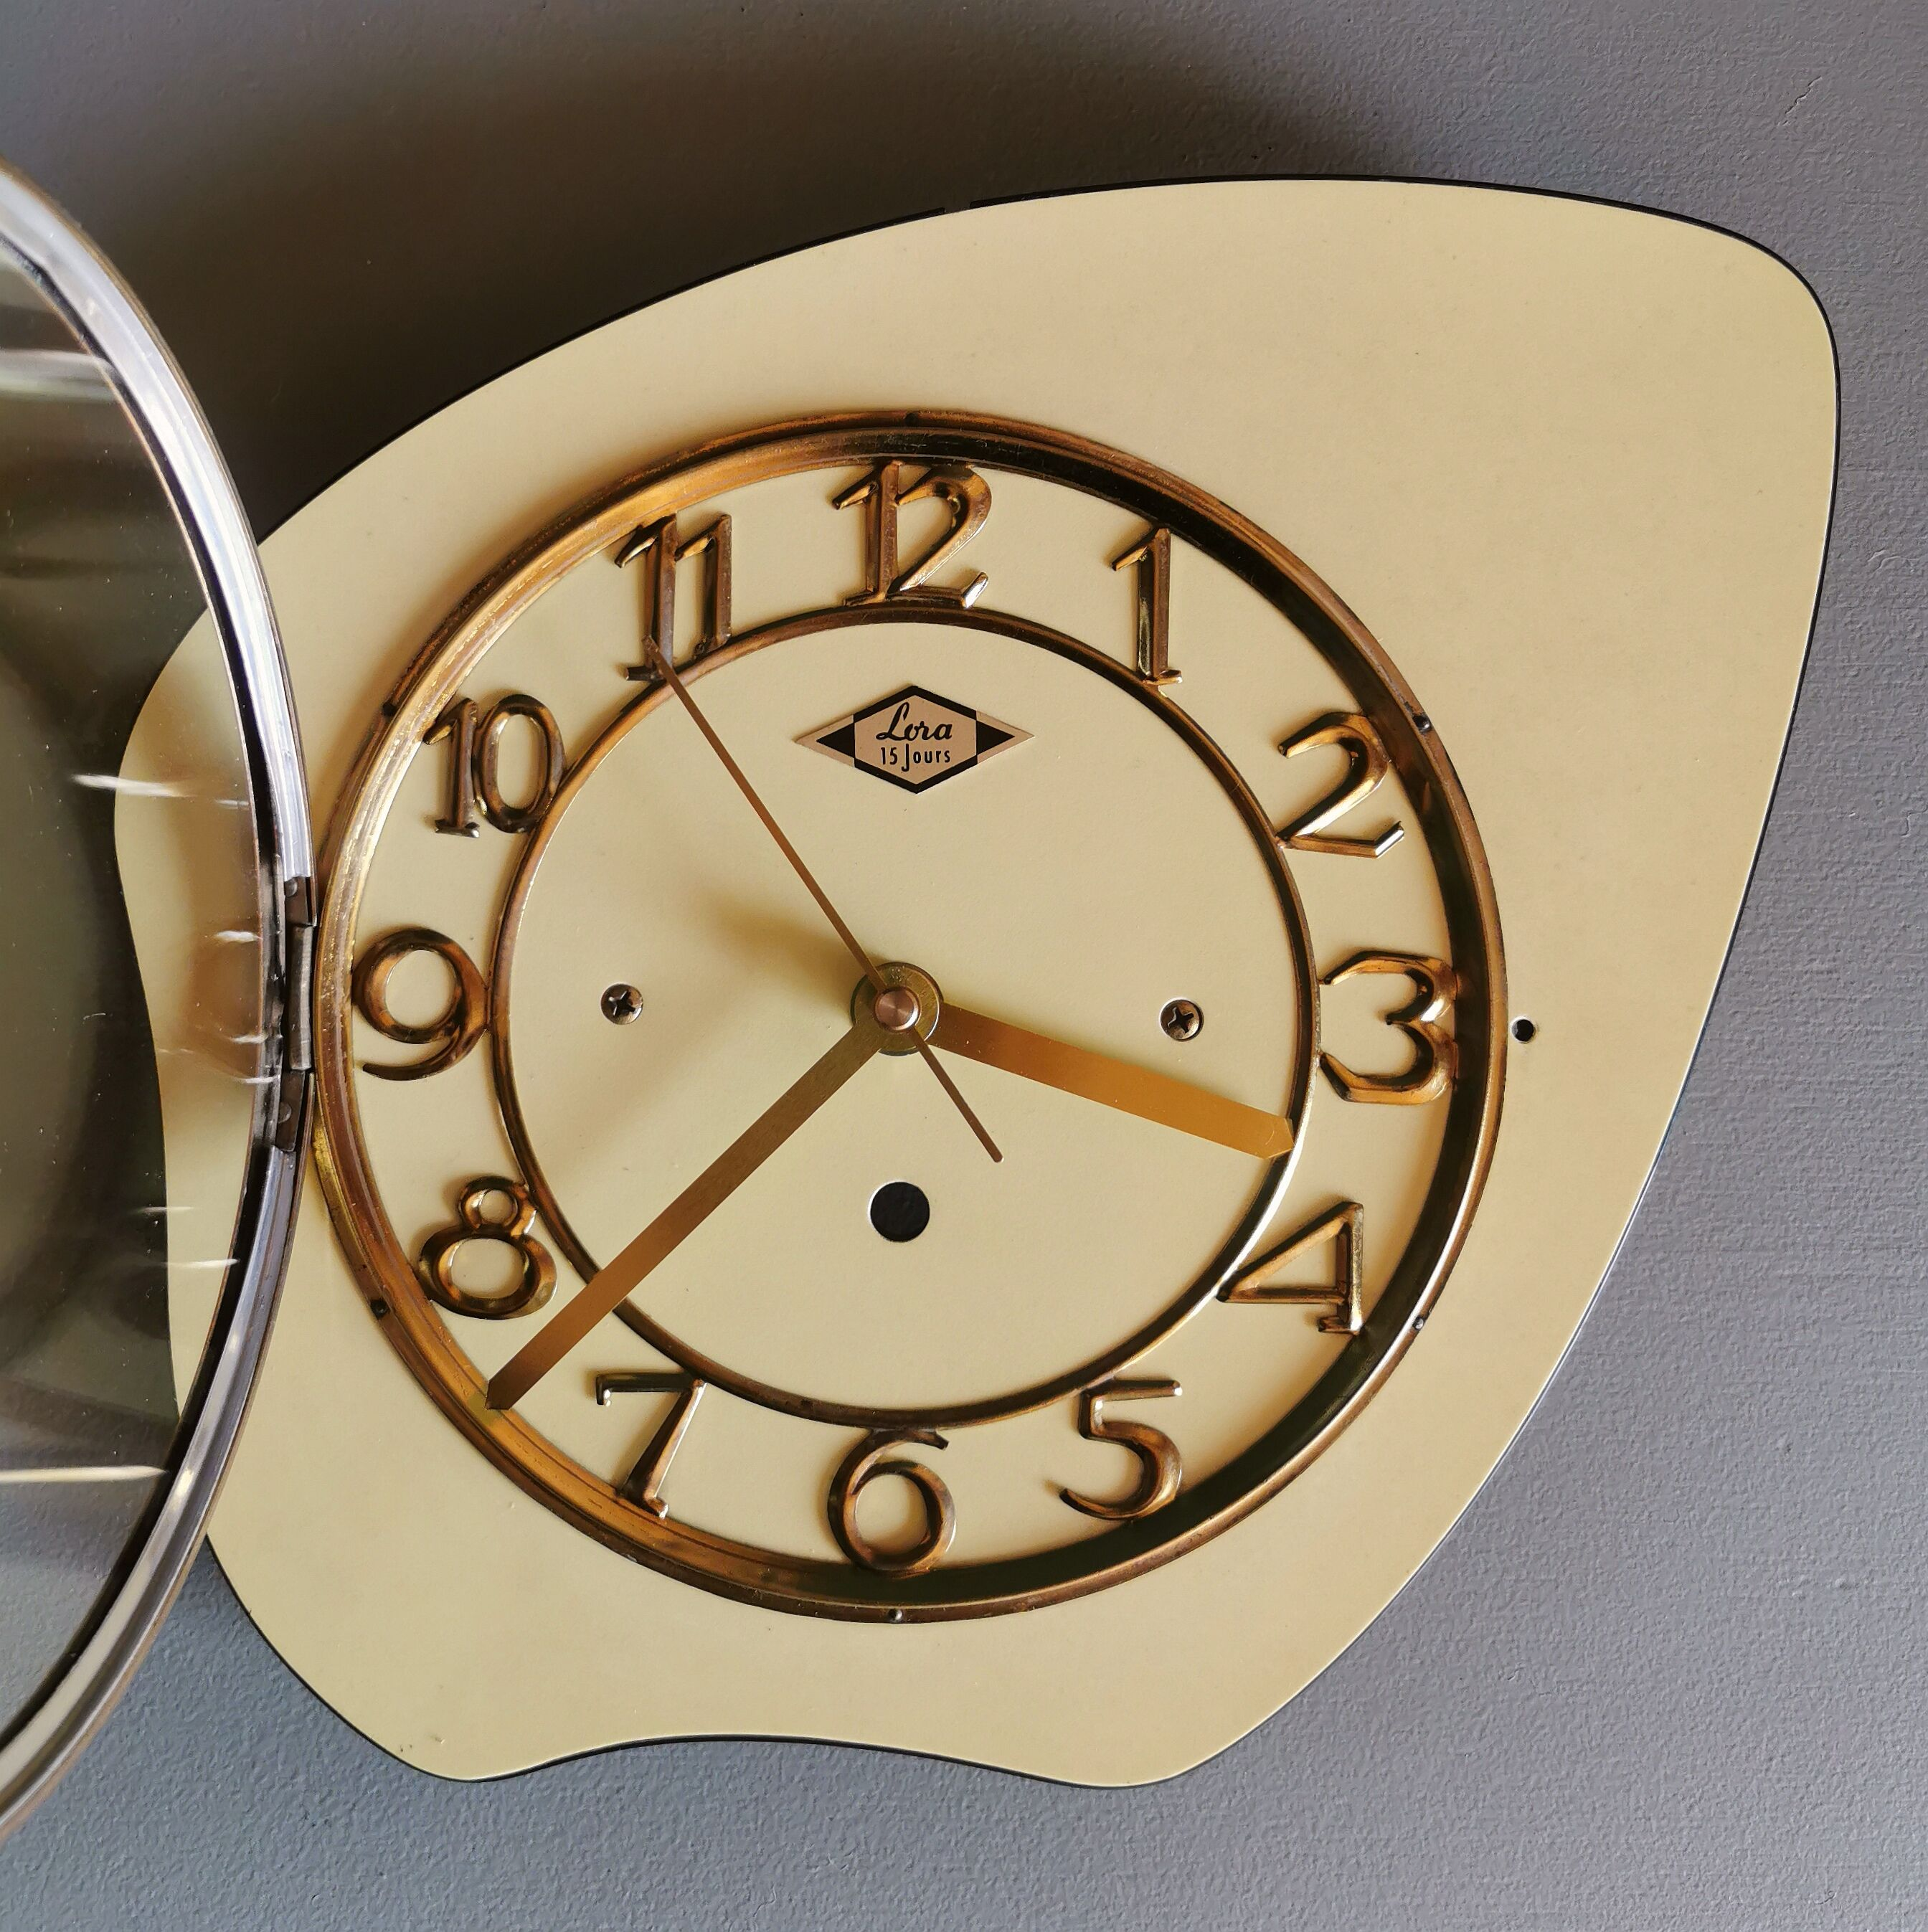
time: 3:37
